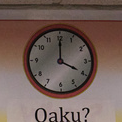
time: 4:00
